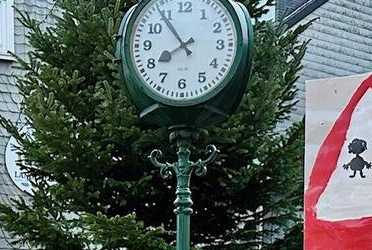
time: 7:53
